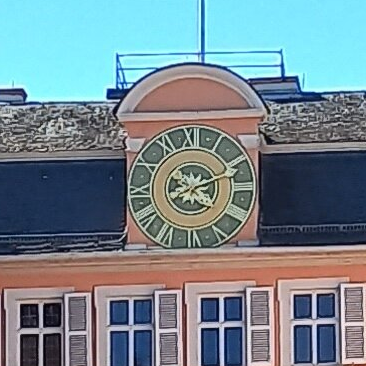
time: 4:11
